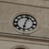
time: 6:03
